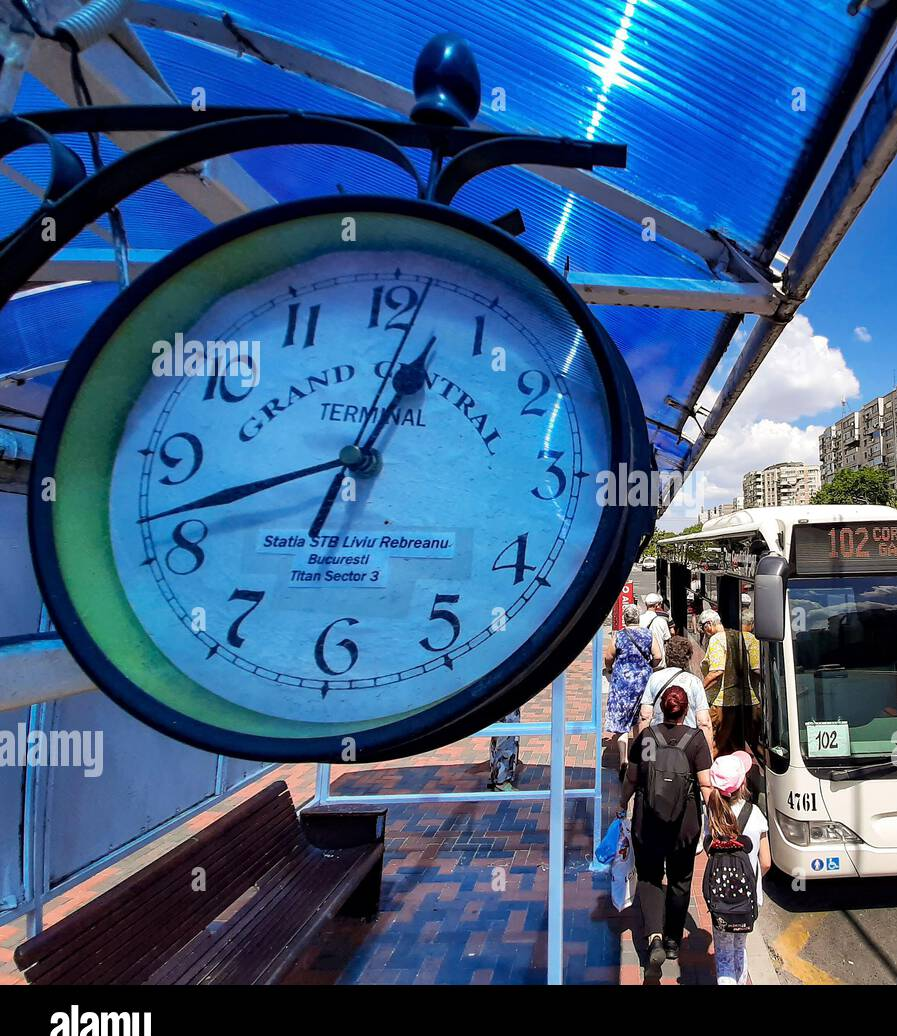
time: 12:41
